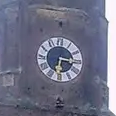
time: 6:15
